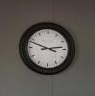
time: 2:48
